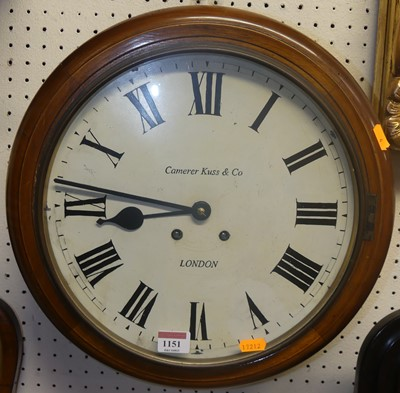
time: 8:46
